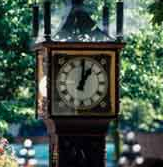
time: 1:00
